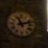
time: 11:12
